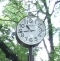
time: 10:43
